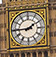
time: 1:44
